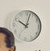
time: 10:02
